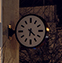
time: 6:22
